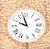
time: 9:57
